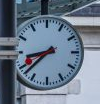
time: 8:38
